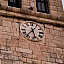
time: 5:36
